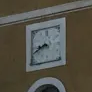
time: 8:41
